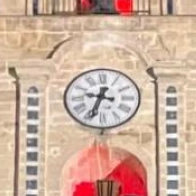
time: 9:33
